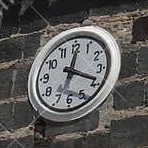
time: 12:18
